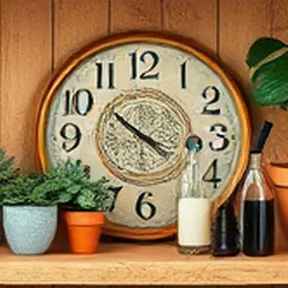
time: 3:51
